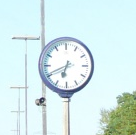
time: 6:40
